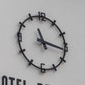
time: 11:16
